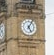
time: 5:05
